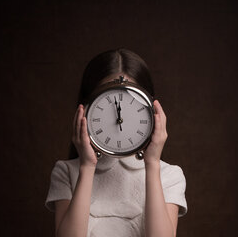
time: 11:57
